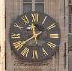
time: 11:39
